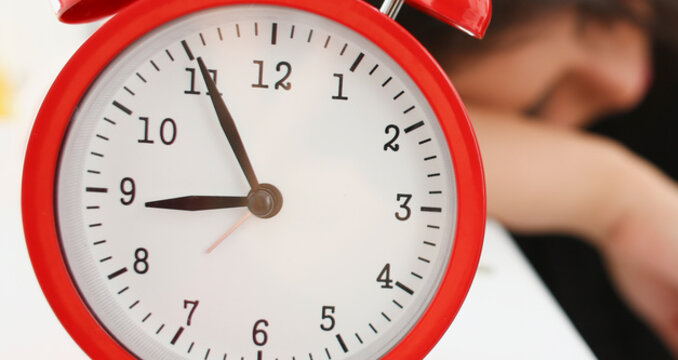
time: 8:55
